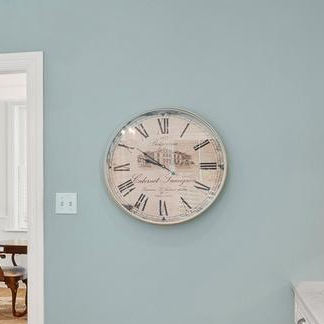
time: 9:50
